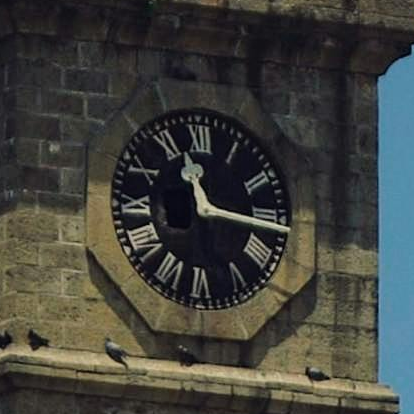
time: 11:16
